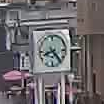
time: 8:23
